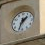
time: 1:33
